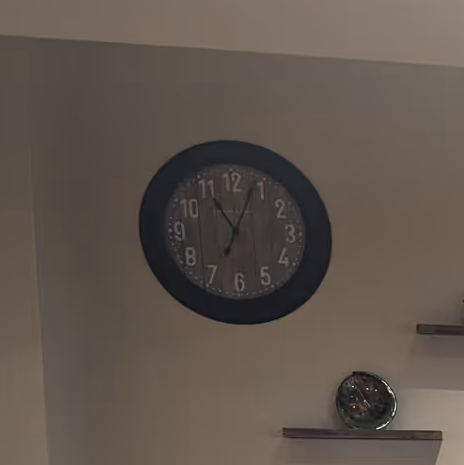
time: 11:03
